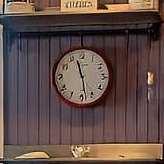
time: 11:28
